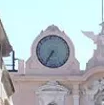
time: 7:36
